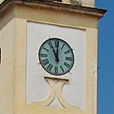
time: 11:00
